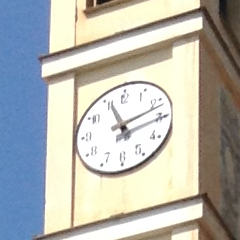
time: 11:11
